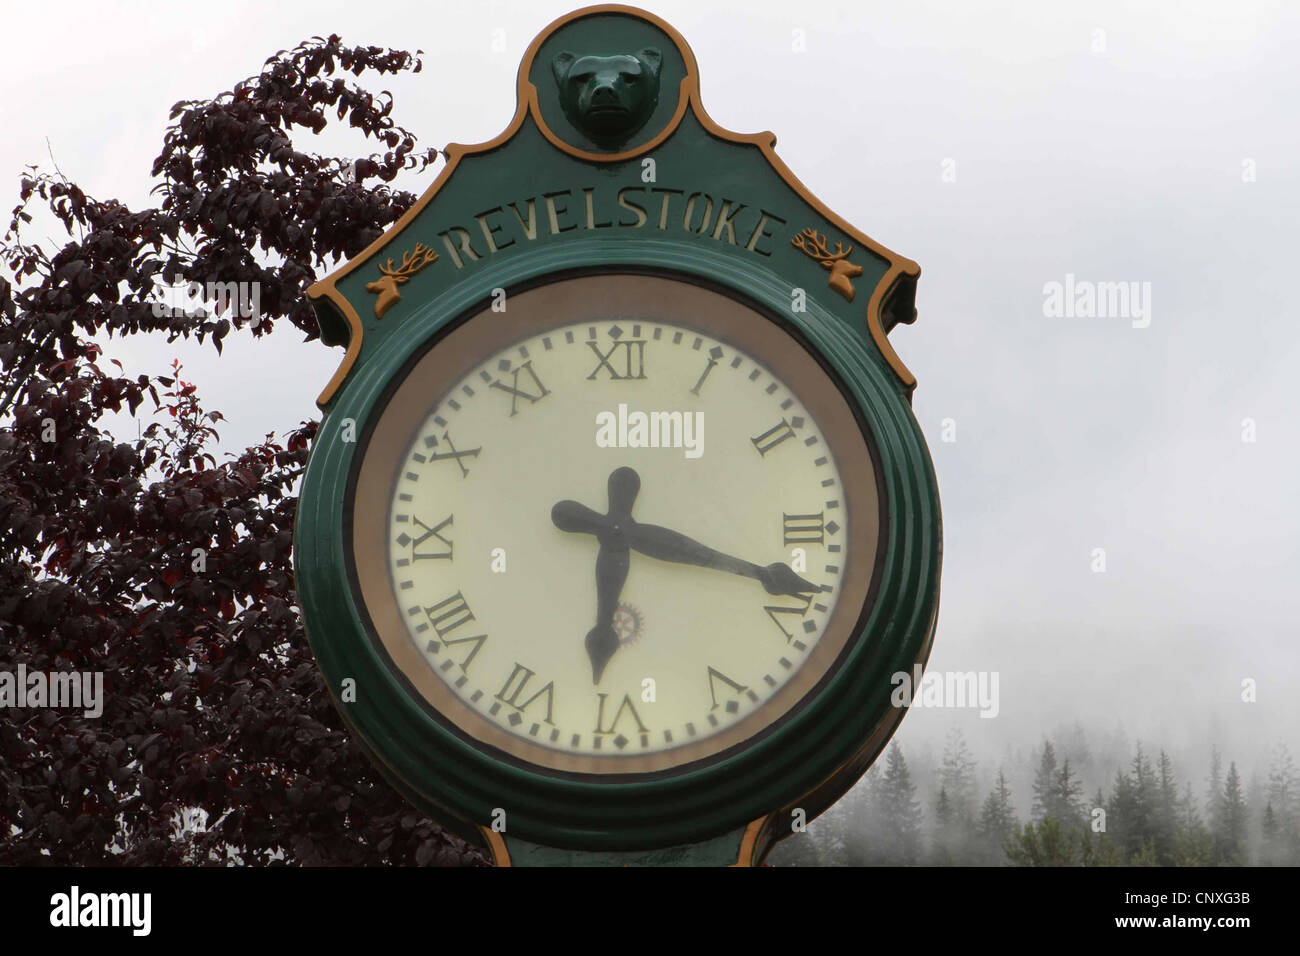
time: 6:18
